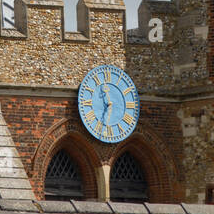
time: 6:59
